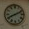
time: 8:11
